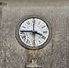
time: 3:45
